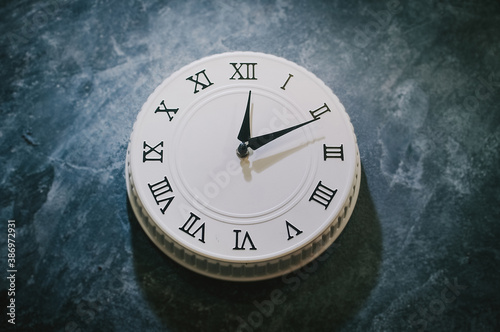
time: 12:10
